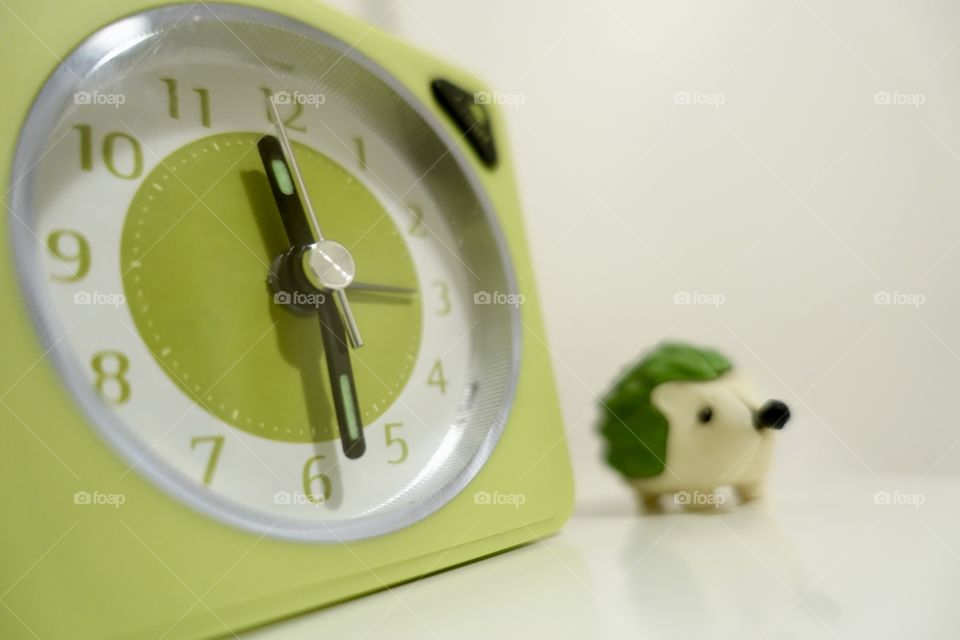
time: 11:28
